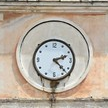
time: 2:22
